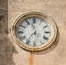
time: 11:35
